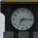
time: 7:14
